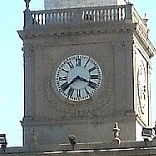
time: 3:39
